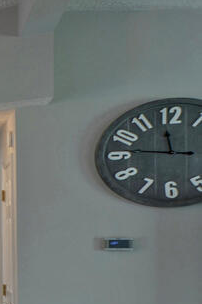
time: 11:46
